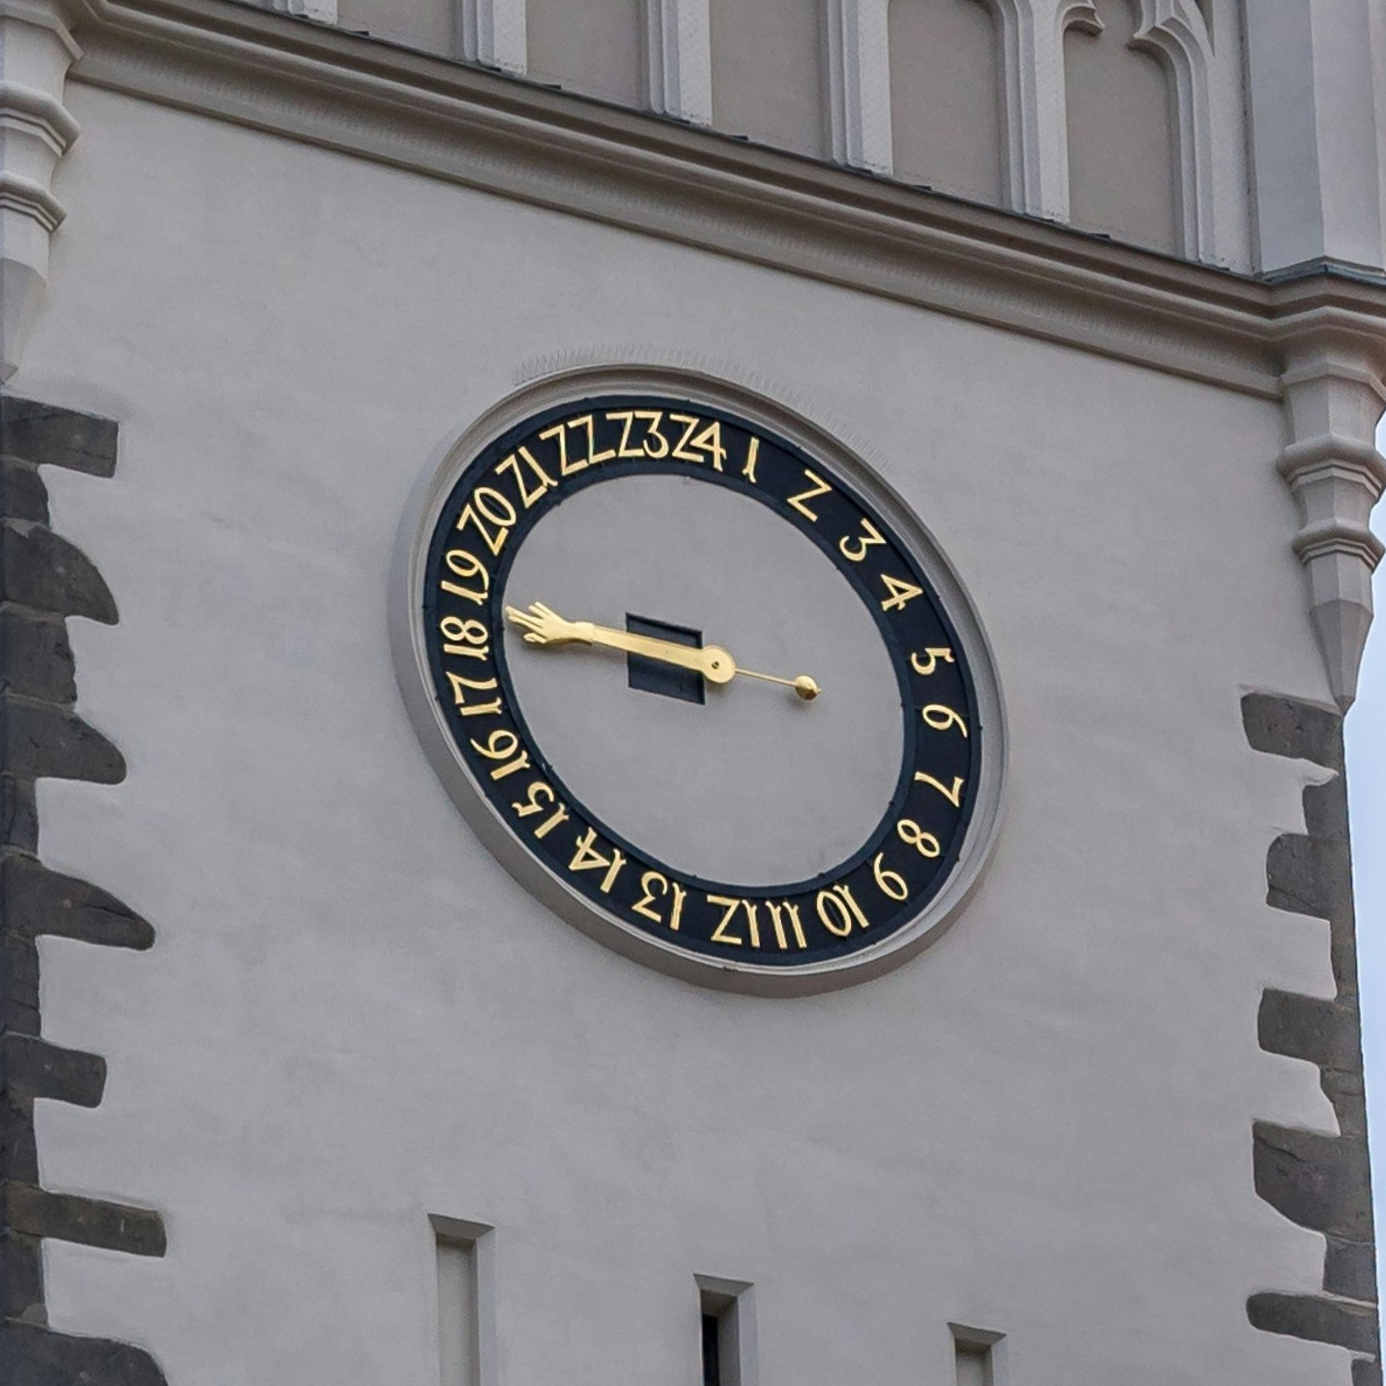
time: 8:45
